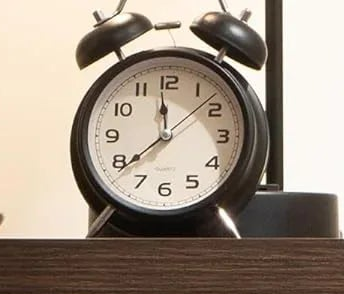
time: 11:38
